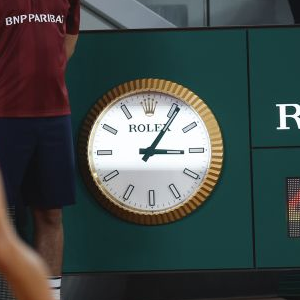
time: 3:05
